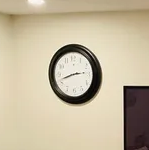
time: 2:42
